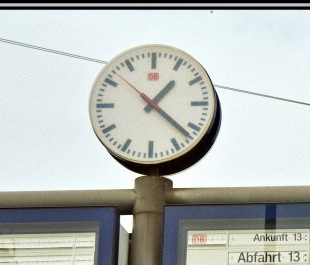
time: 1:21
